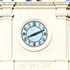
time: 8:11
